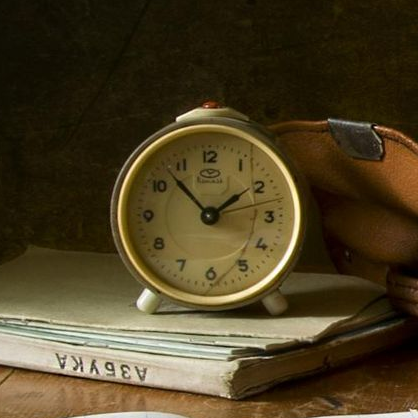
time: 1:52
